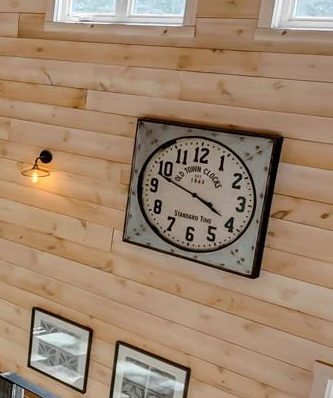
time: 3:48
